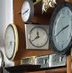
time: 11:40
